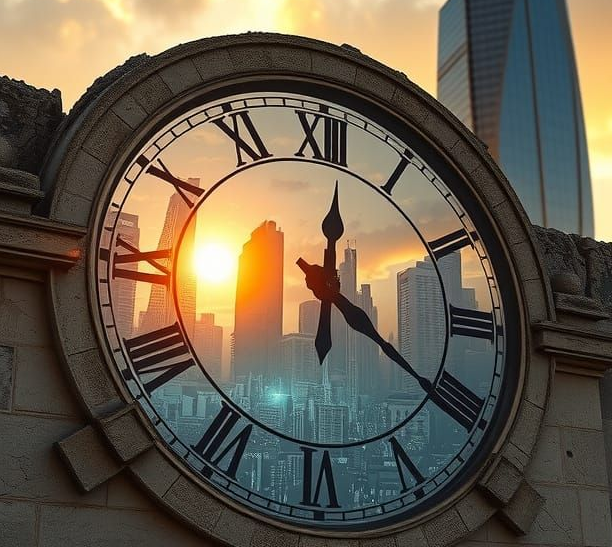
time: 12:20
